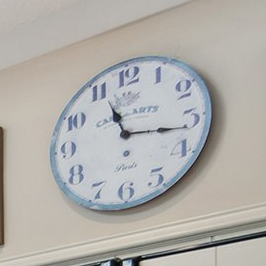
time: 11:16
